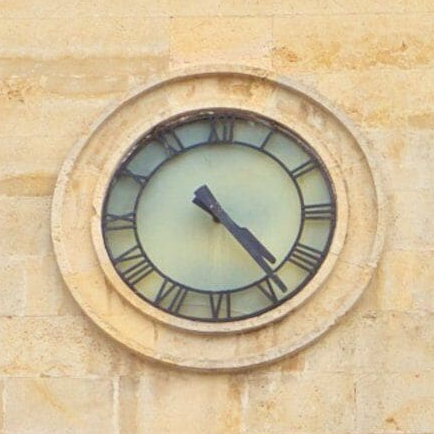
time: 4:23
